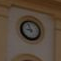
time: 8:57
